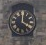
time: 4:00
